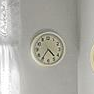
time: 4:35
